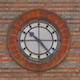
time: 10:23
